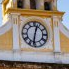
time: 12:32
